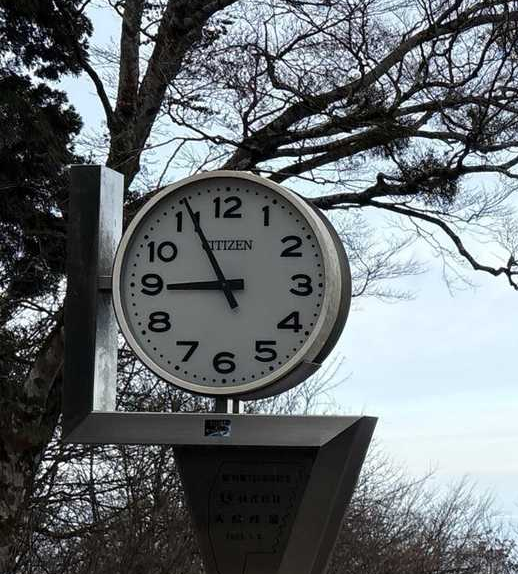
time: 8:55
